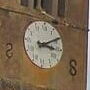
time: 3:09
